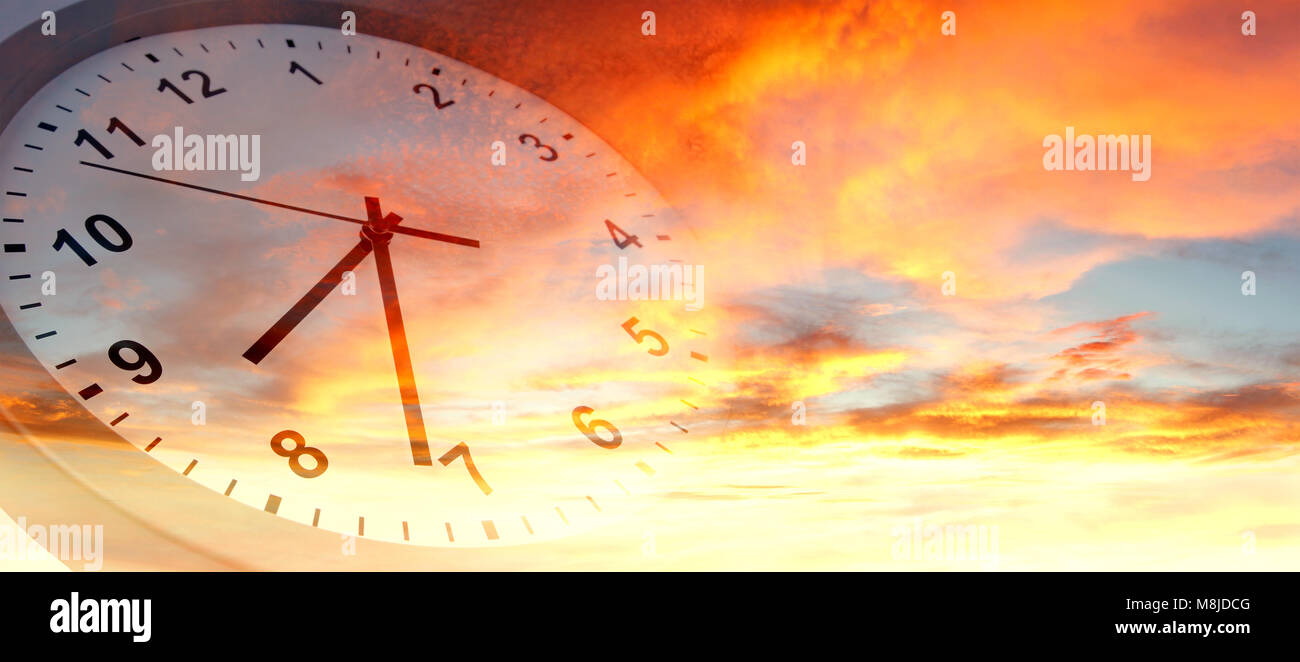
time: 7:31
